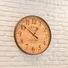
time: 12:51
